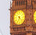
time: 4:34
